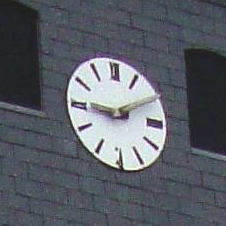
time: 9:10
